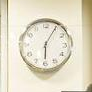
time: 6:05
